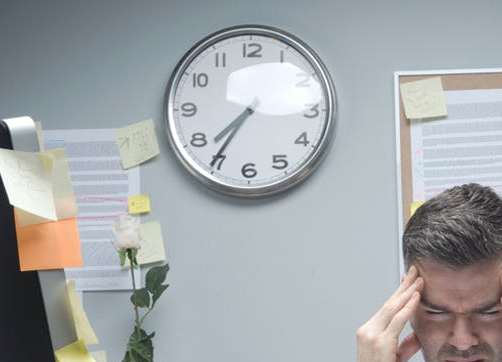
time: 7:35
